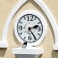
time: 2:24
